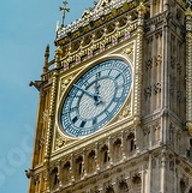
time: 11:52
